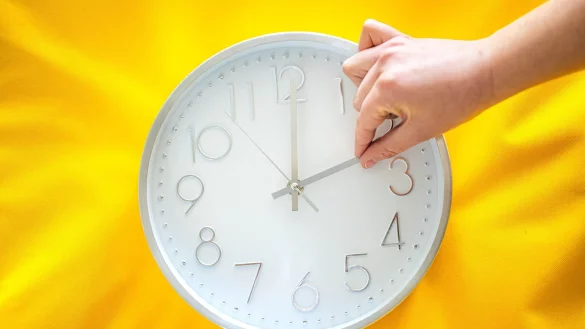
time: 12:11
